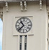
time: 10:37
